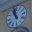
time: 10:58
